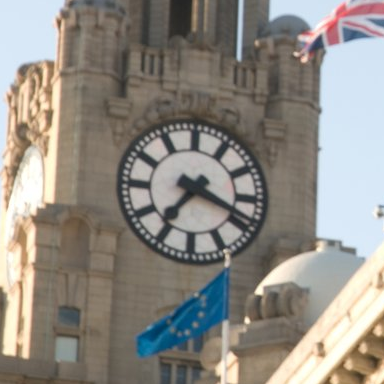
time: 7:18
